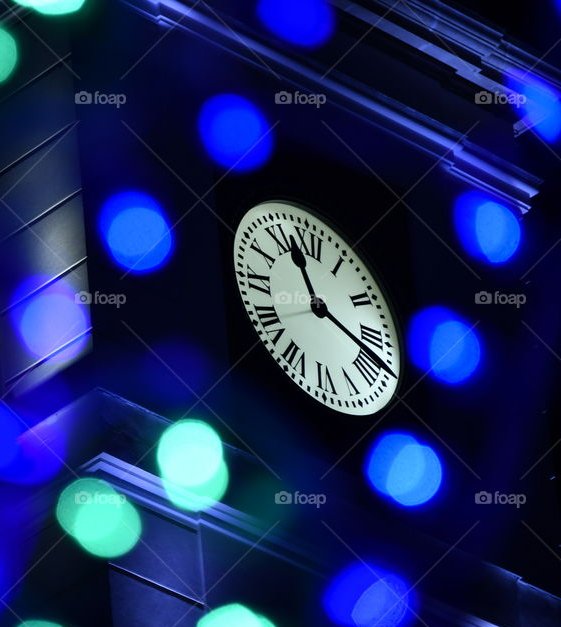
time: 11:17
